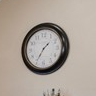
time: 1:35
